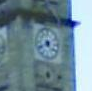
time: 4:40
